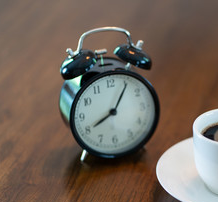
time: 8:05
